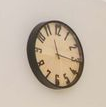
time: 11:15
